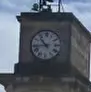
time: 10:43
